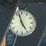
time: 4:57
